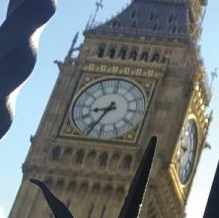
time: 8:34
